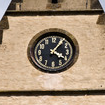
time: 4:05
